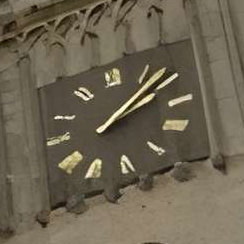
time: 2:08
